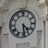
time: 4:29
